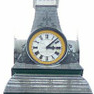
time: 3:07
